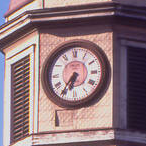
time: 6:36
